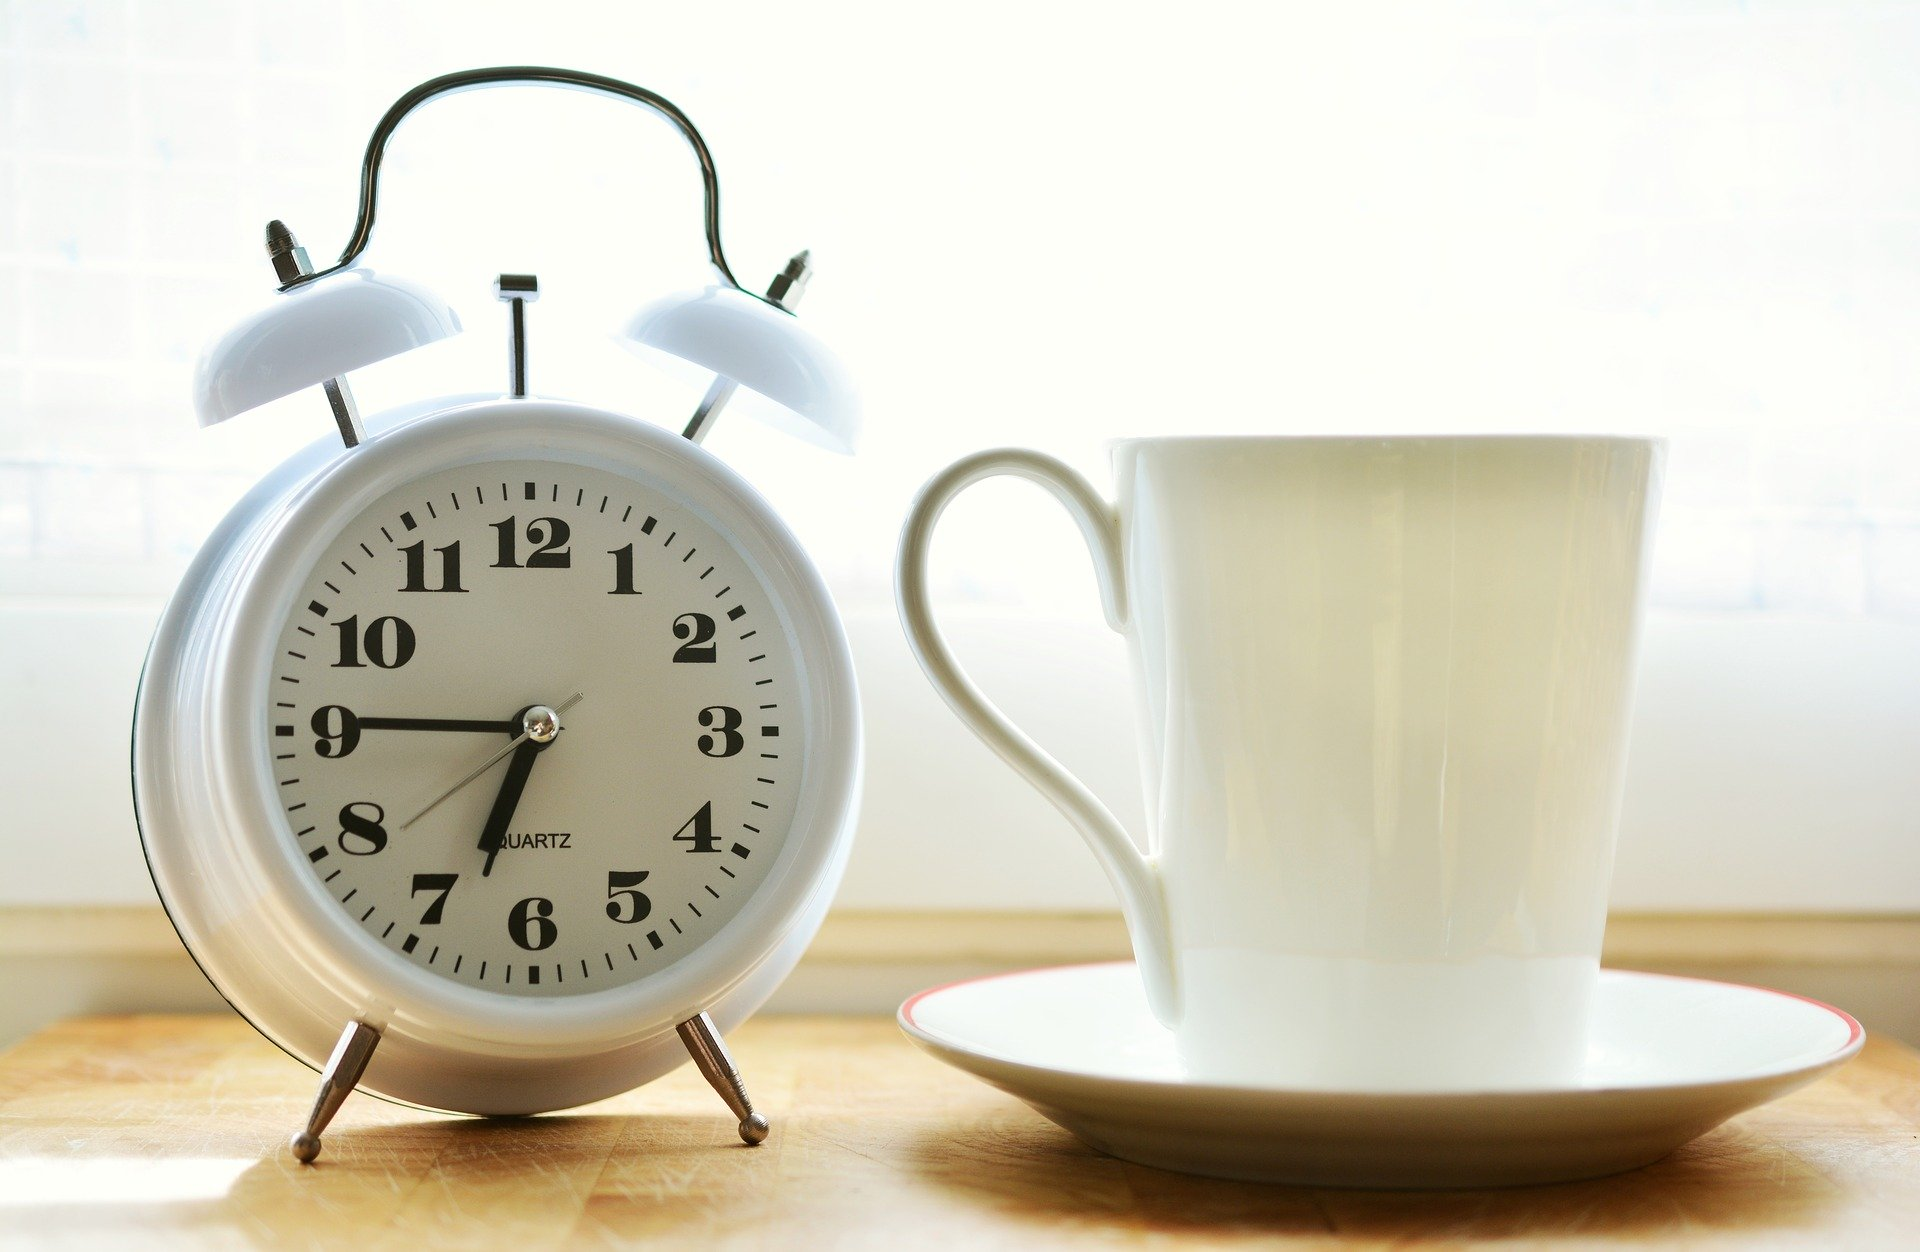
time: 6:45
